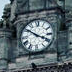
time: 3:51
